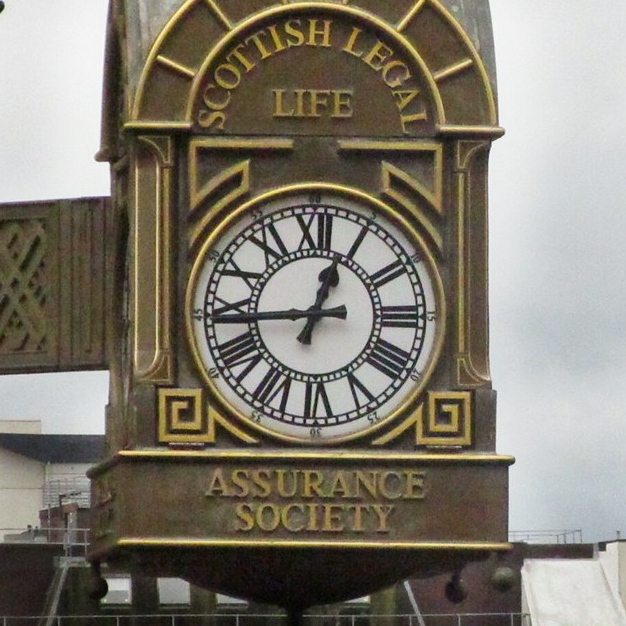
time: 12:44
